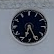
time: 6:25
